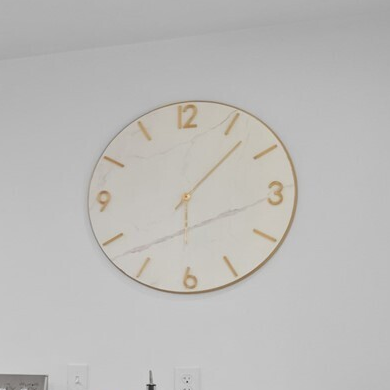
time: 6:07
